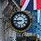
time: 8:45
